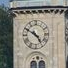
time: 4:50
